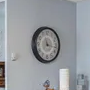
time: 11:16
